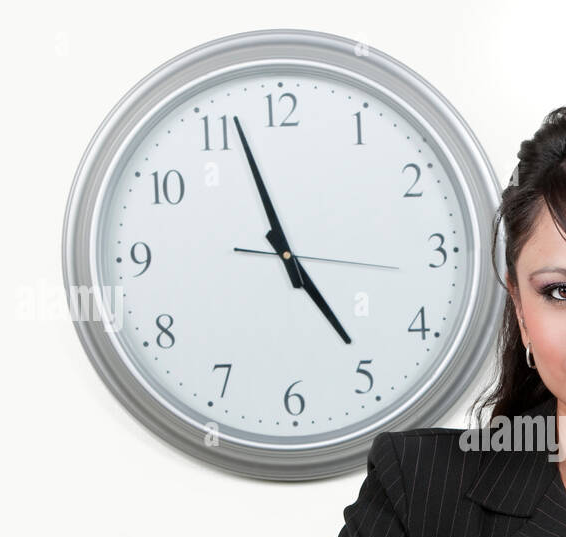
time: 4:56
